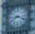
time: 8:18
